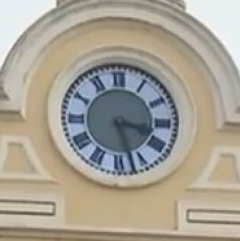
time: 3:27
